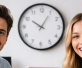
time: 10:04
